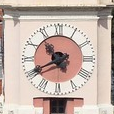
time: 10:40
